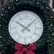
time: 10:07
